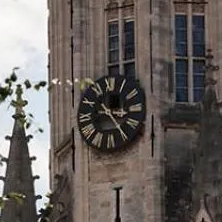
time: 3:24
